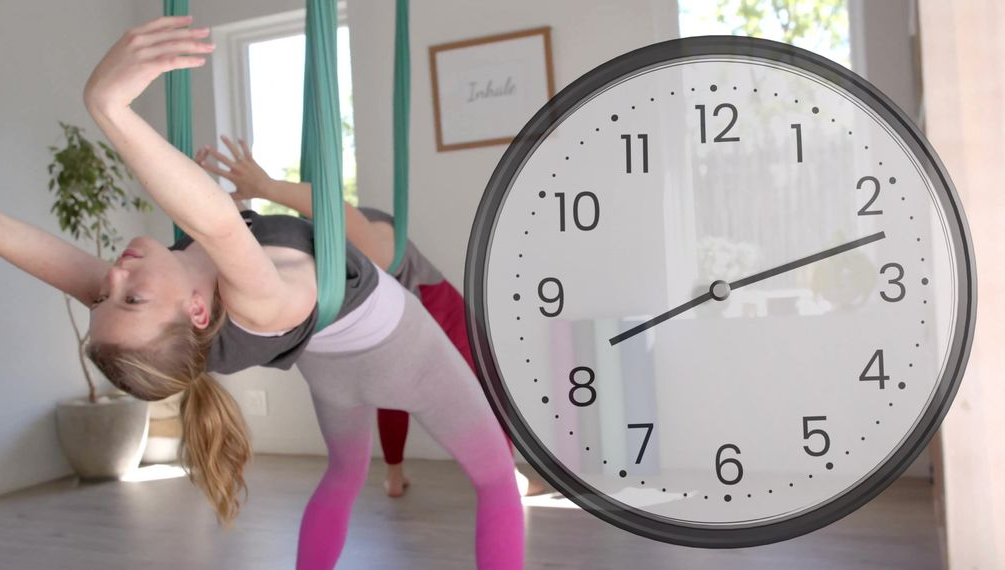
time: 8:12
